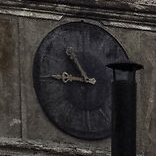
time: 10:45
